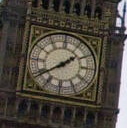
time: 1:39
